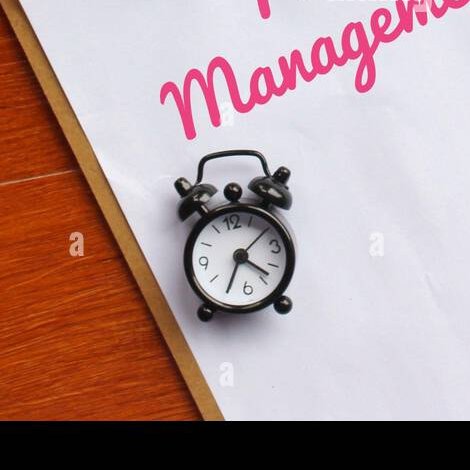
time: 4:35
